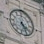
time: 4:26
